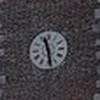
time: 11:28
